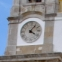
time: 4:06
